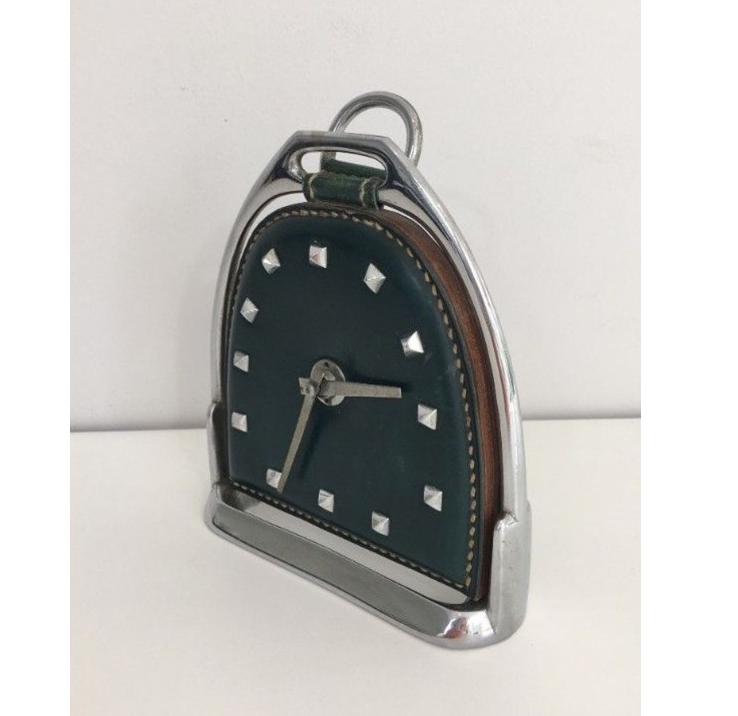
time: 2:34
